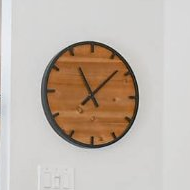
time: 11:07
